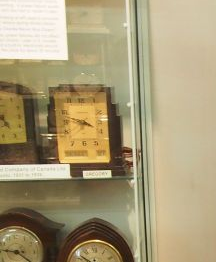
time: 3:47
